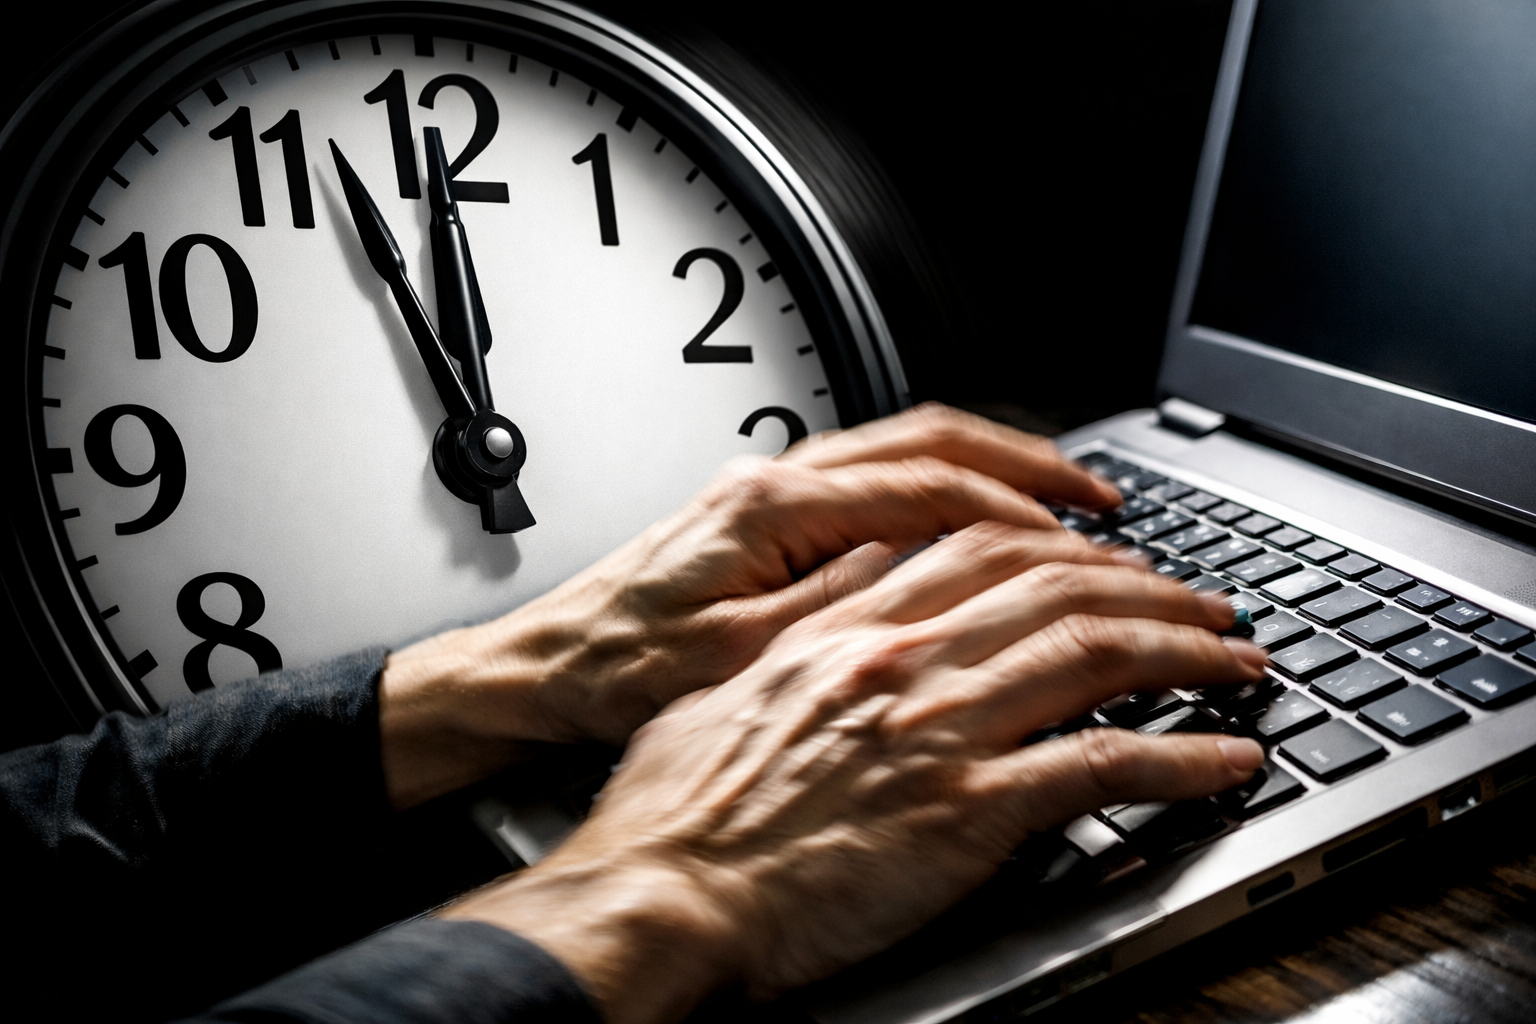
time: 11:56
